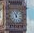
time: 11:02
